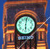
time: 6:01
